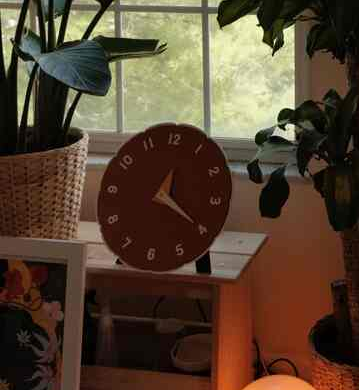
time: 12:20
